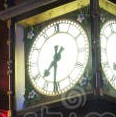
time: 7:31
